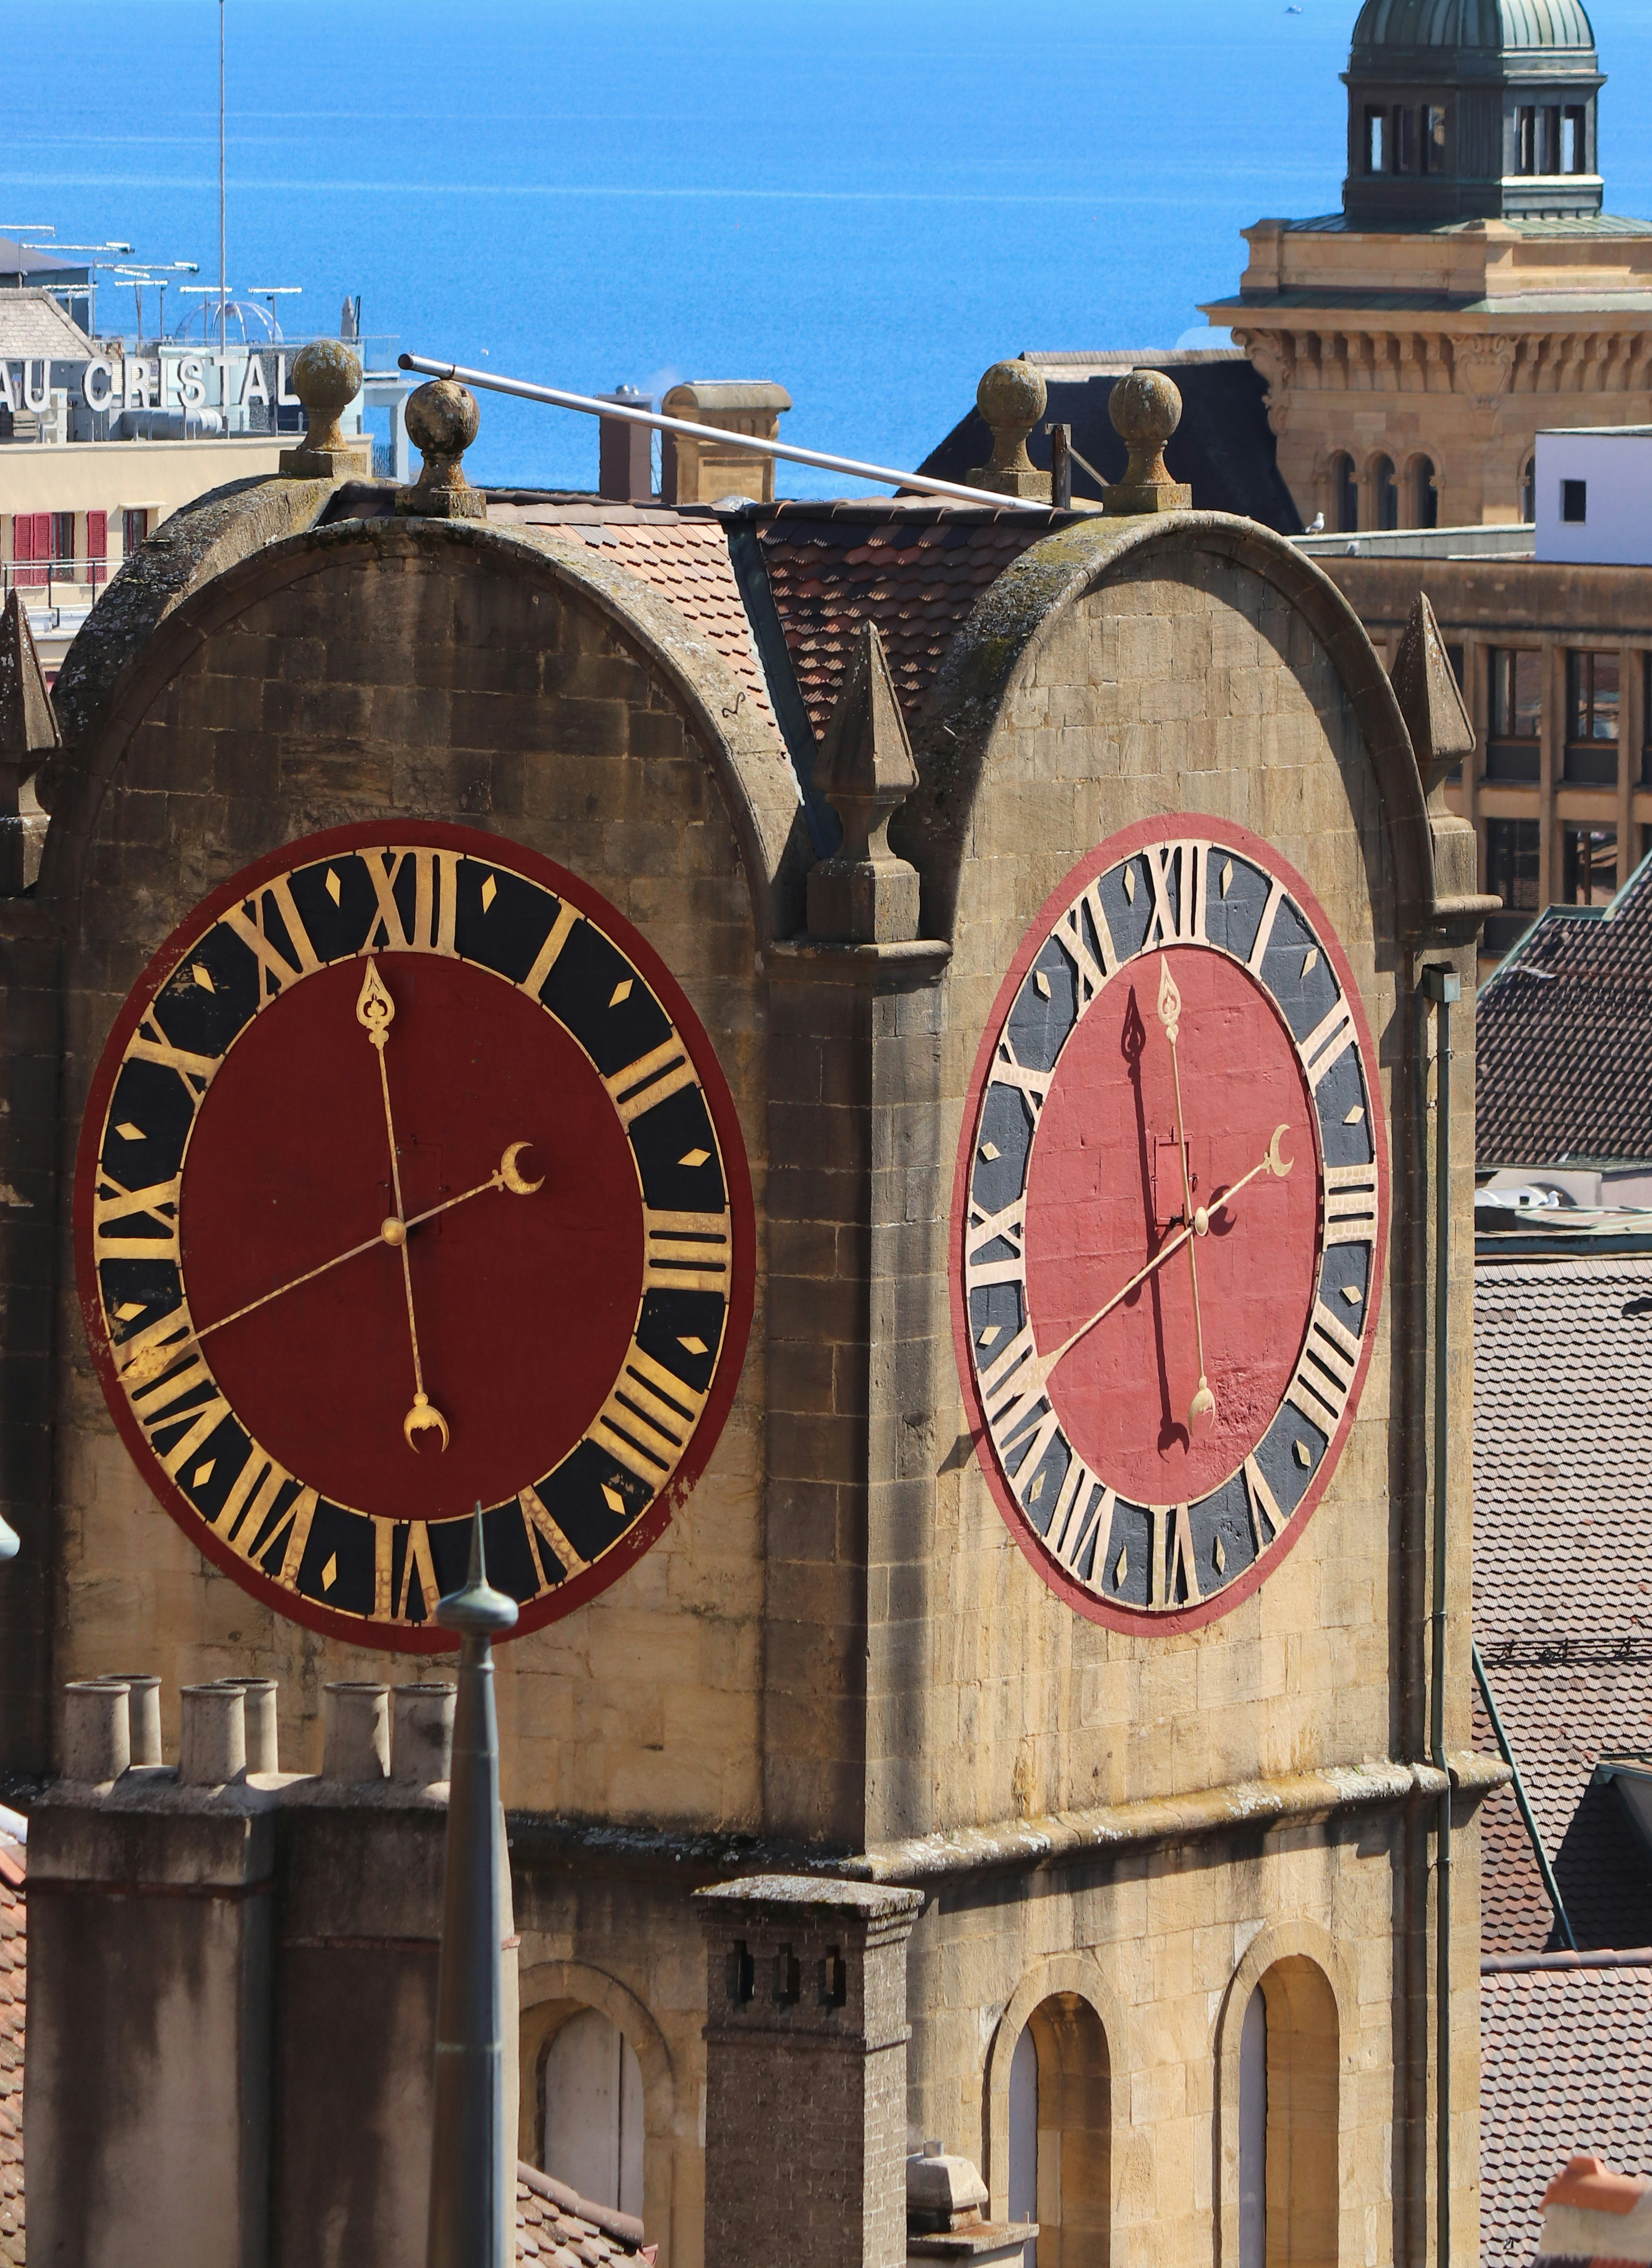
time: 1:58
